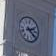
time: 2:21
